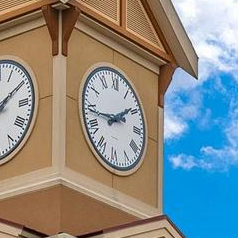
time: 1:43
